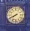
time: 7:40
